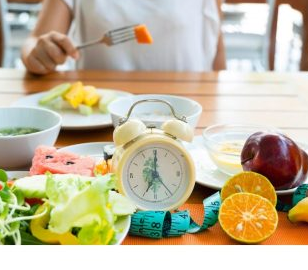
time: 7:00
